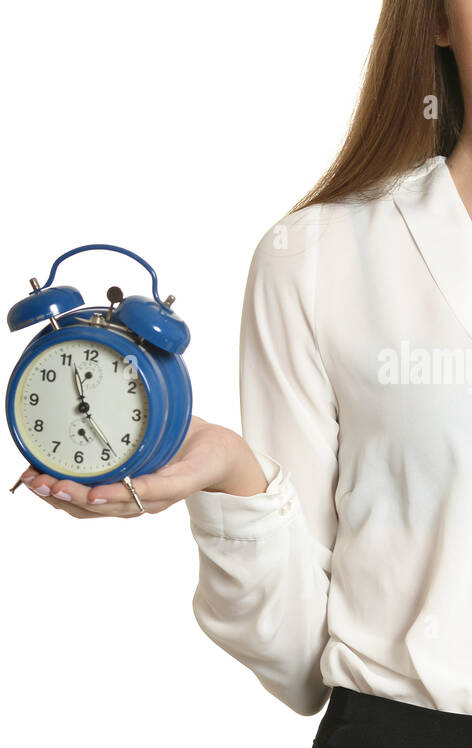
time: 11:23
